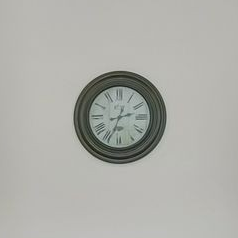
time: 2:33
